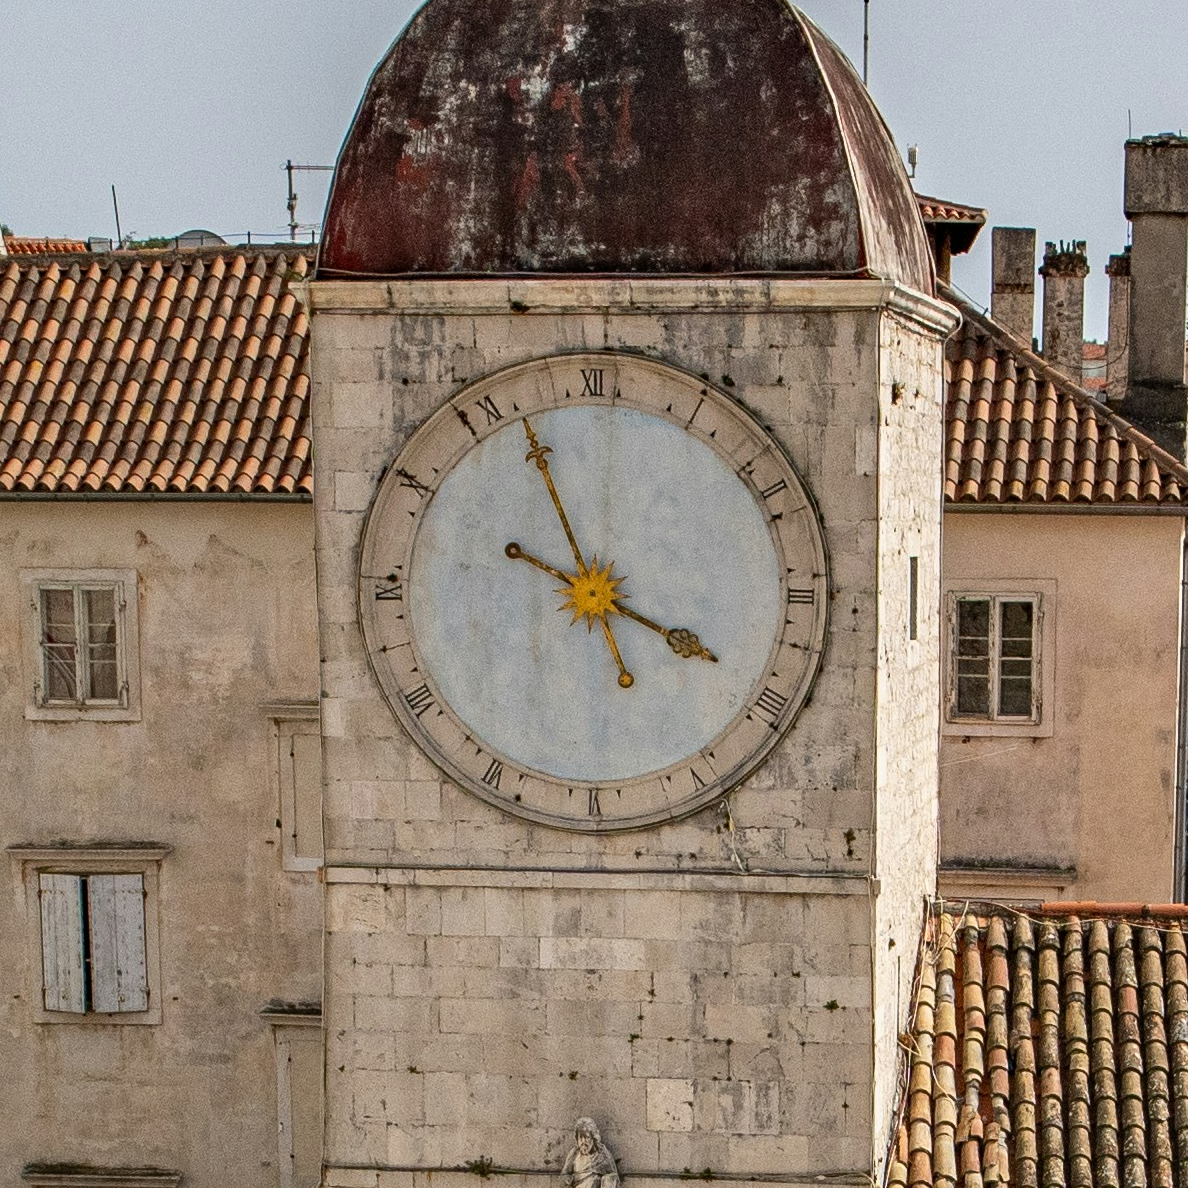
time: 3:56
